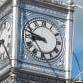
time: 8:47
